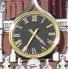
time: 4:34
